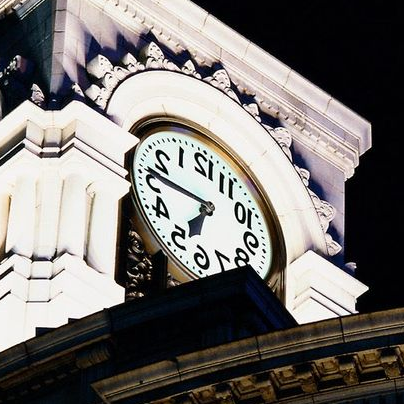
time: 6:46
